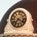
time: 7:20
